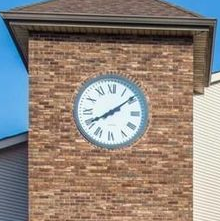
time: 8:08
